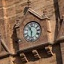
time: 11:31
